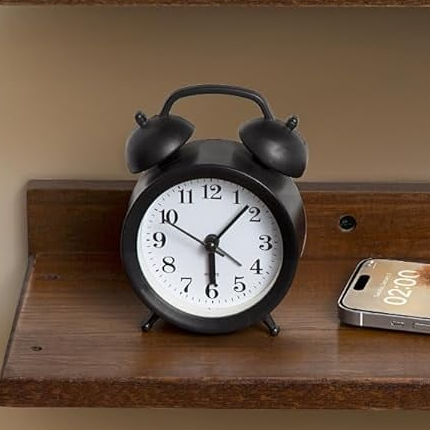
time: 6:07
